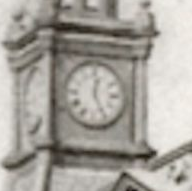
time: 12:25
